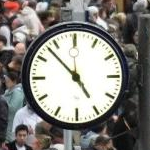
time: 4:52
